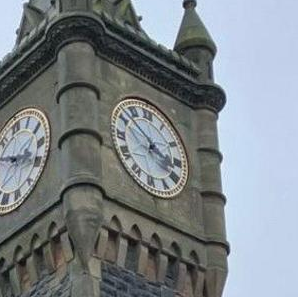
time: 3:52
